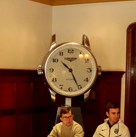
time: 10:25
